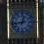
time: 12:43
